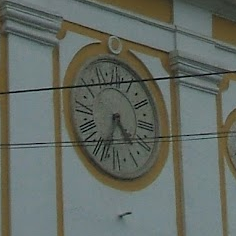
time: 4:33
